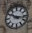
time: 10:16
